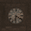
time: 6:21
